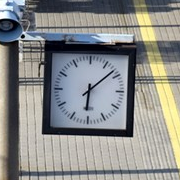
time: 6:08
